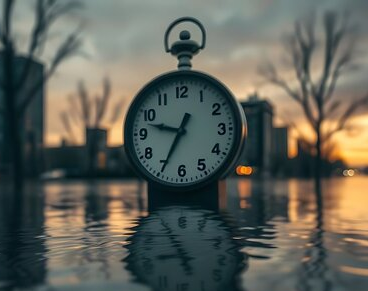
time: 9:34
